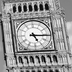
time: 5:15
